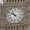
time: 10:50
